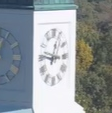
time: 12:46
